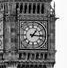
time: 1:16
